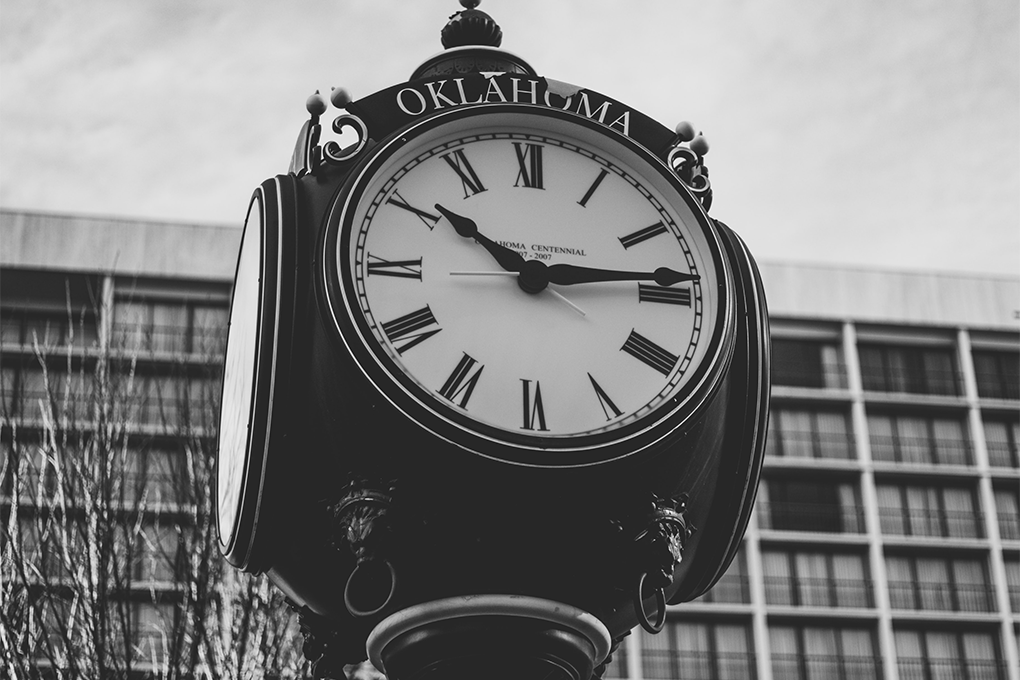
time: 10:13
